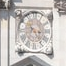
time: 3:24
